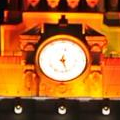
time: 12:27
